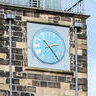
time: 2:23
